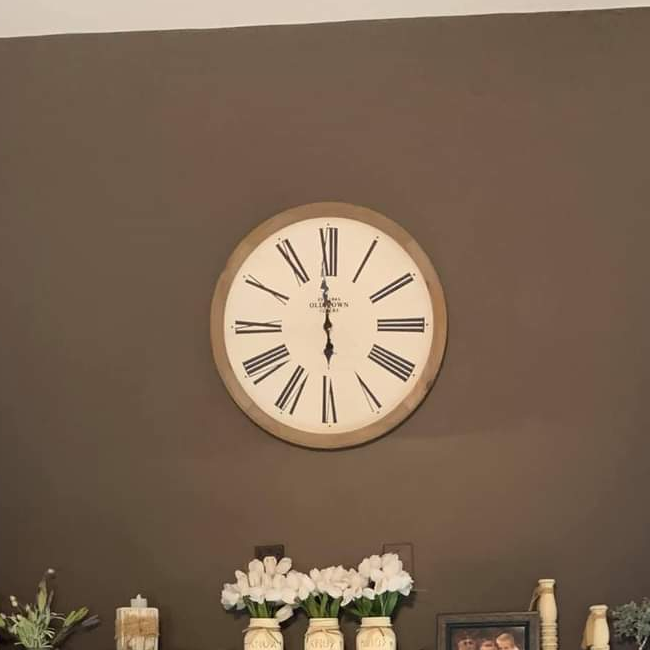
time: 5:59
